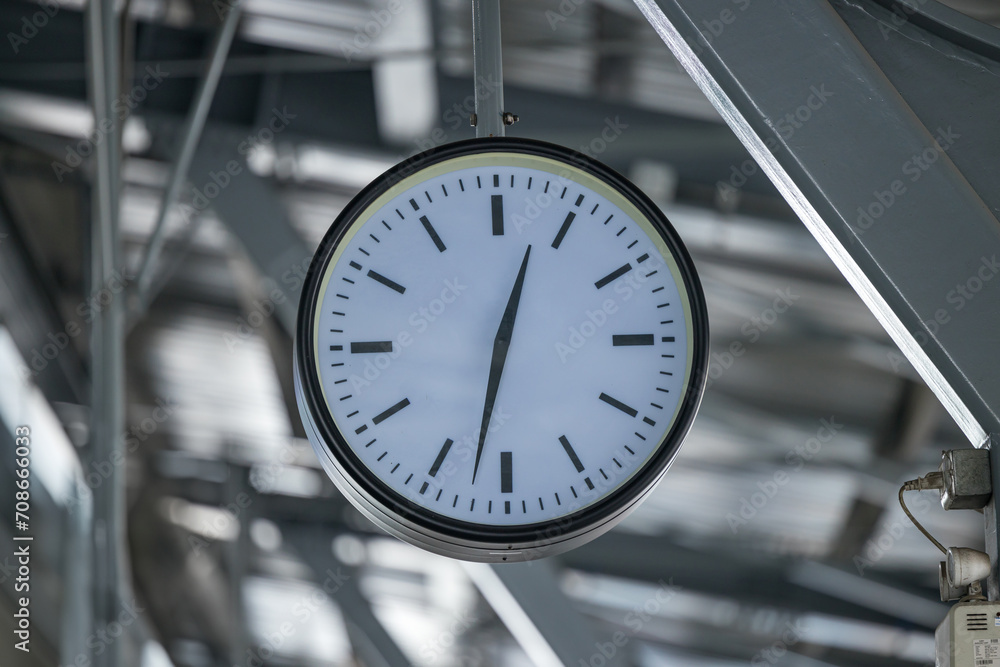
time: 12:32
